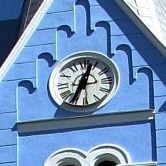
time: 12:34
